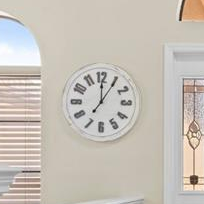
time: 12:05
